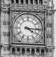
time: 4:15
